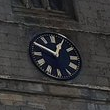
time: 12:49
